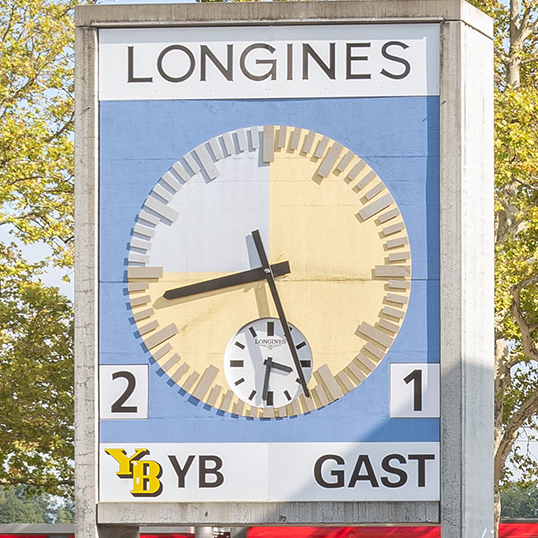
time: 8:27
